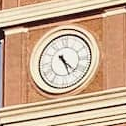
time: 4:26
